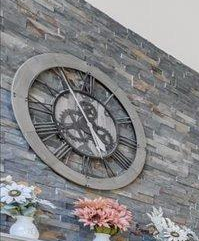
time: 4:56
